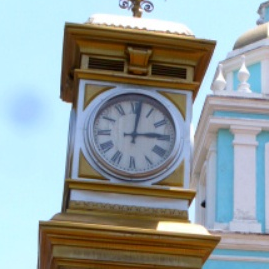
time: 3:01
